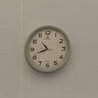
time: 10:42
